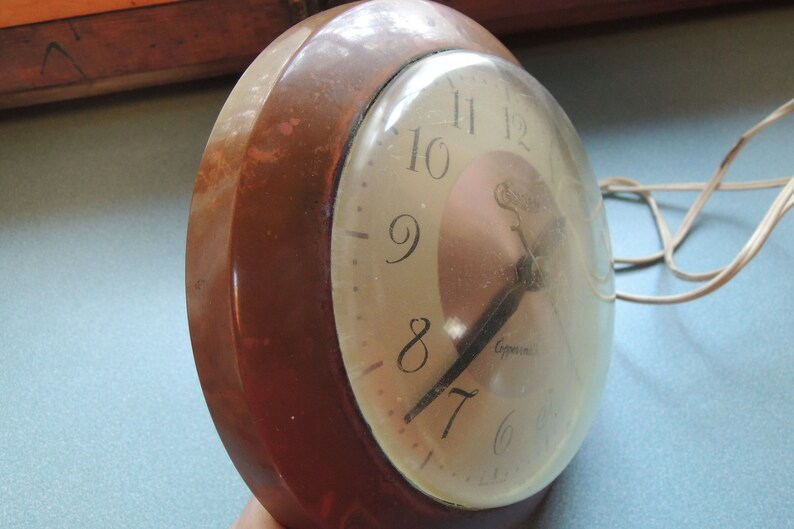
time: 7:37
